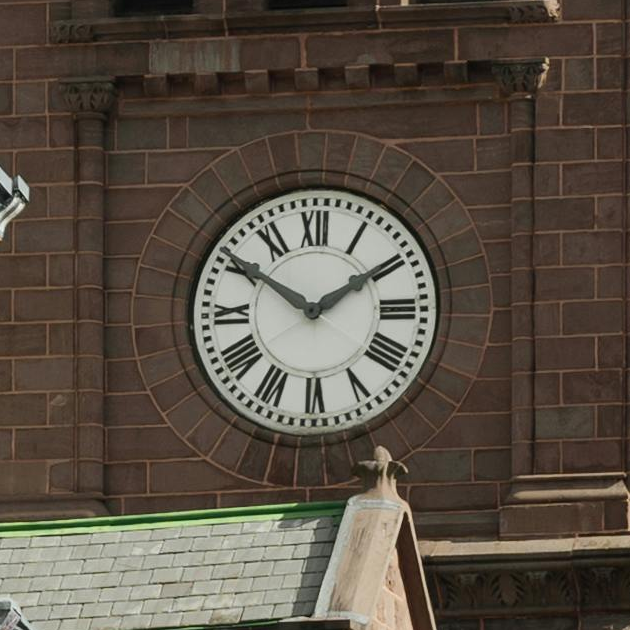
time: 1:50
